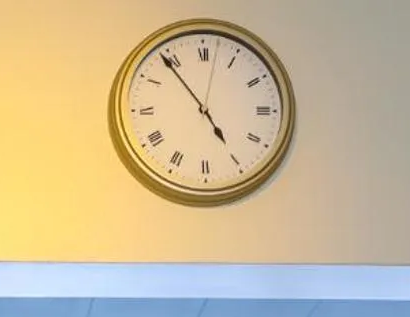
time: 4:53
